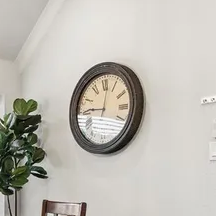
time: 9:01
